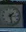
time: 1:28
